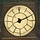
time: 2:11
